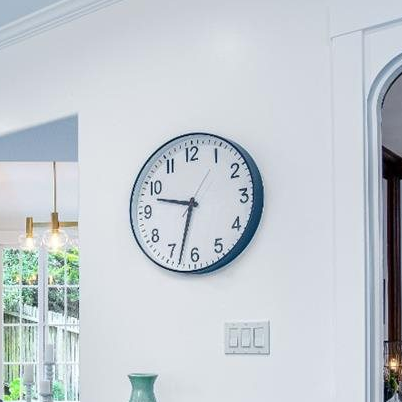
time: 9:32
